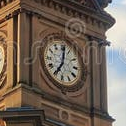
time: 7:01
